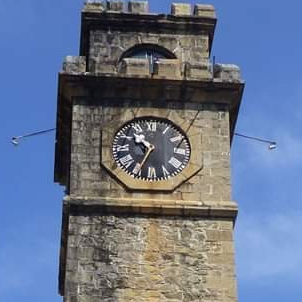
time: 10:34
